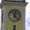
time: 12:22
